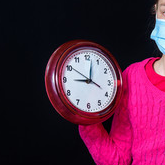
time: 9:01
